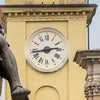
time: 2:43
